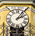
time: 2:06
